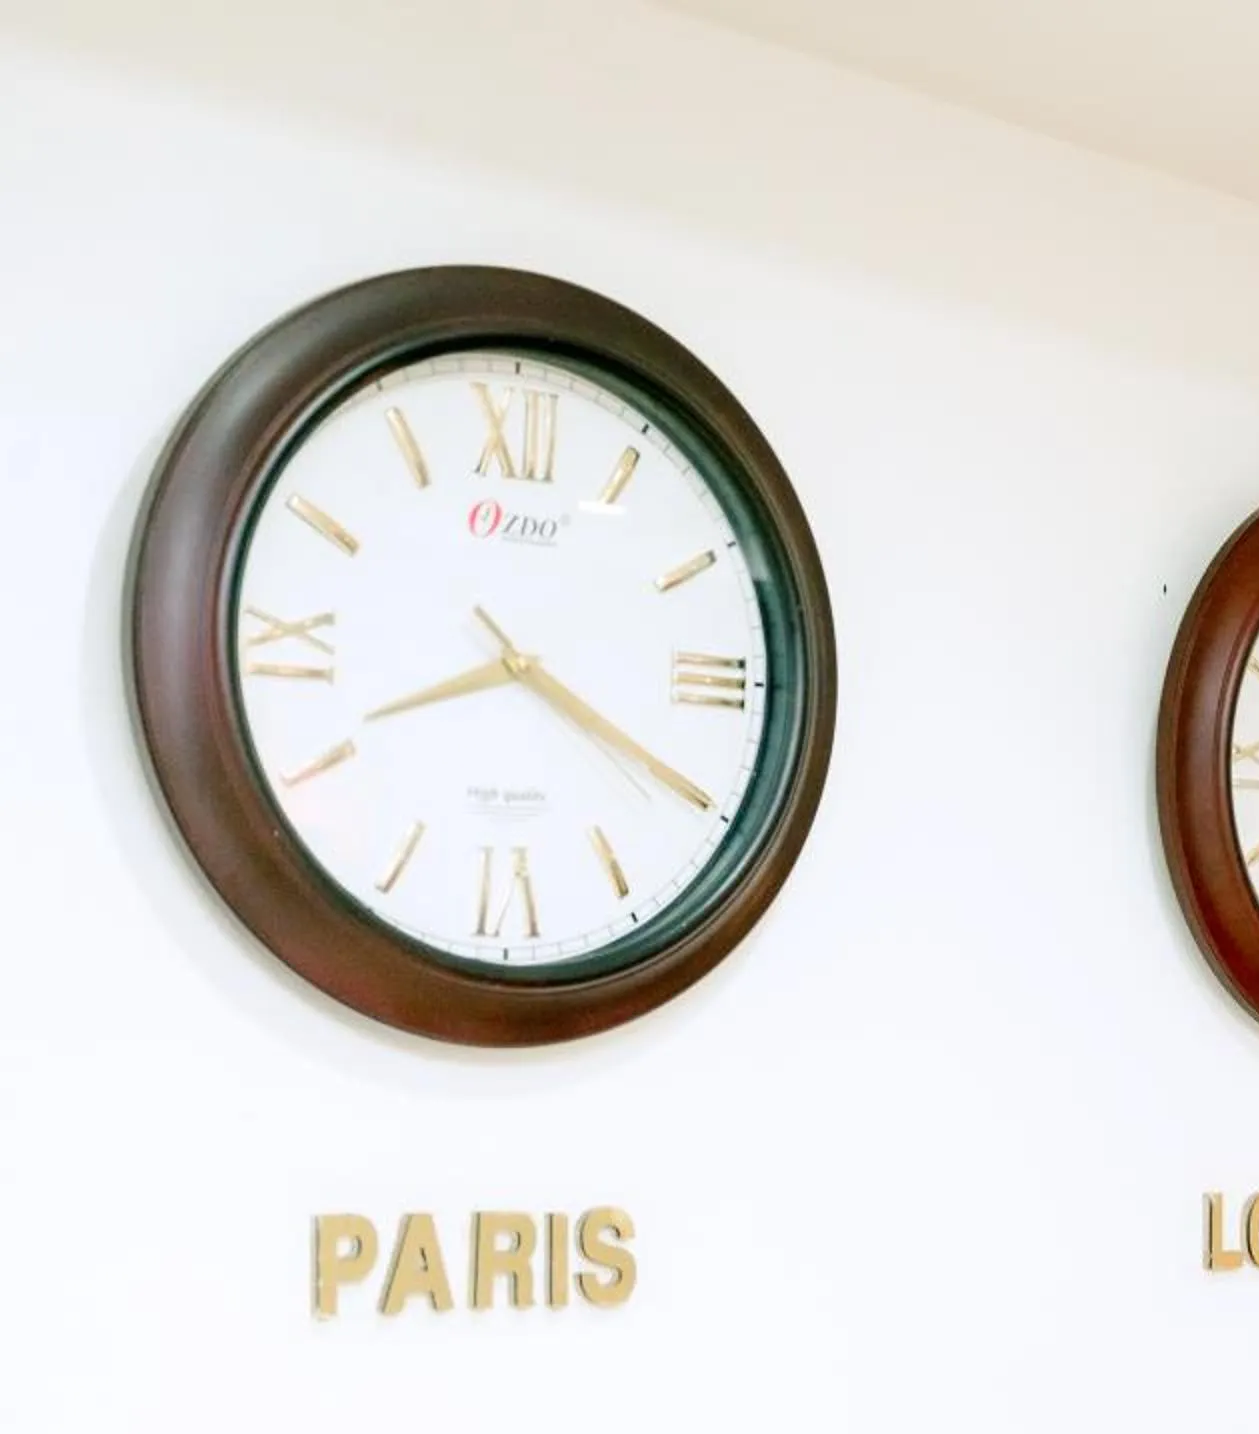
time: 8:19
